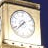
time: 7:37
